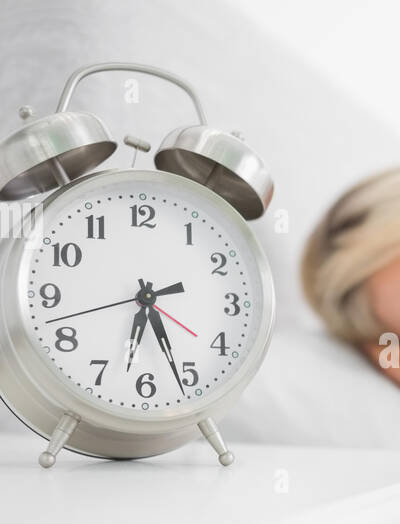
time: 6:26
